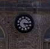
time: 5:15
